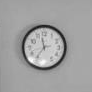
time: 11:35
